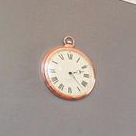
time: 2:22
